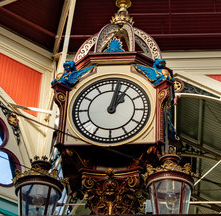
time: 1:02
